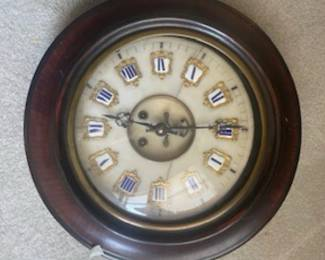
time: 9:14
